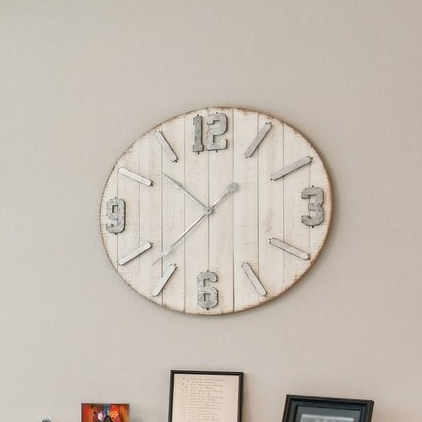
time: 1:37
